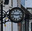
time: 2:46
